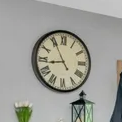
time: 8:55
